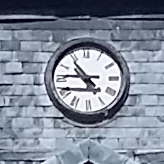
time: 10:45
